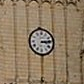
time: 3:13
